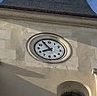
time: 7:54
